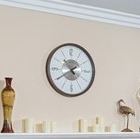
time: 10:40
